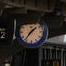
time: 1:36
